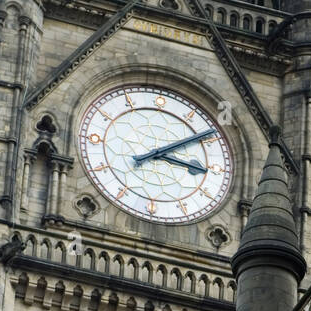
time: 3:09
